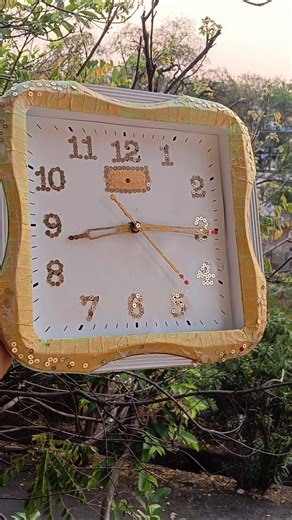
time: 8:15
